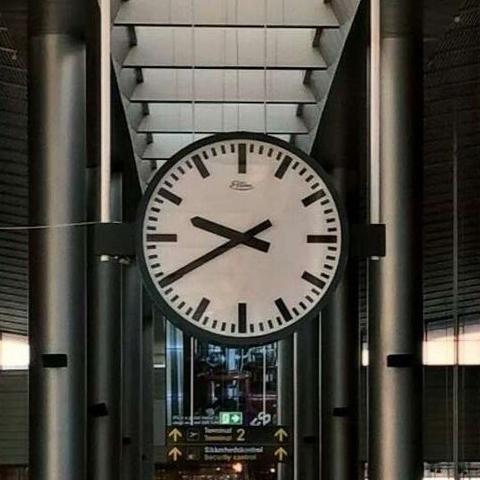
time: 9:40
